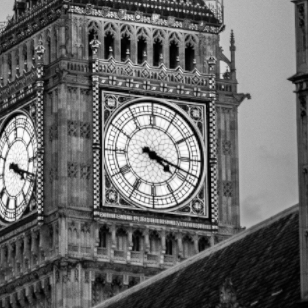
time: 4:18
